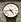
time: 4:43
